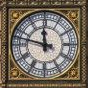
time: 11:47
